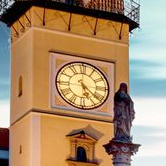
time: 5:21
